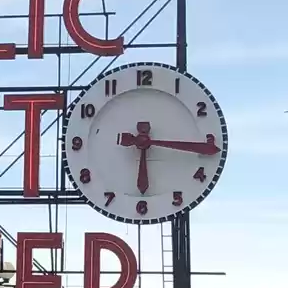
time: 6:15
